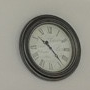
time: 10:22
